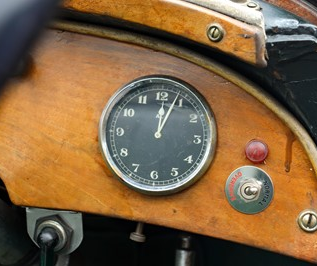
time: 12:03
